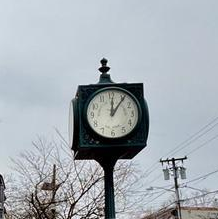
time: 12:06
